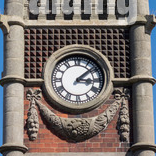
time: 3:08
